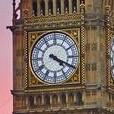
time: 4:19
